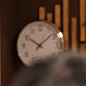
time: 10:08
